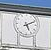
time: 5:10
